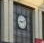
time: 9:12
